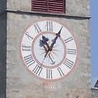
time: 11:05
